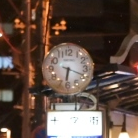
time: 6:18
